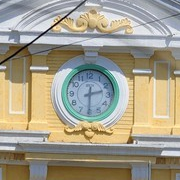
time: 2:30
